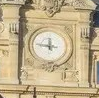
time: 11:46
